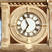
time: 6:55
